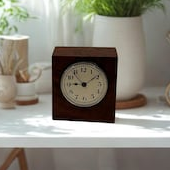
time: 9:09
